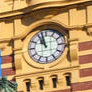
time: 10:57
